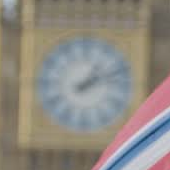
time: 1:11
